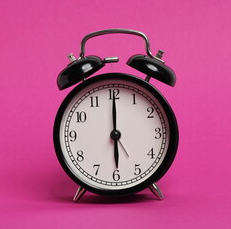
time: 6:00
